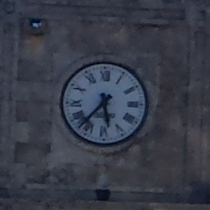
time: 5:36
